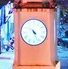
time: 4:26
